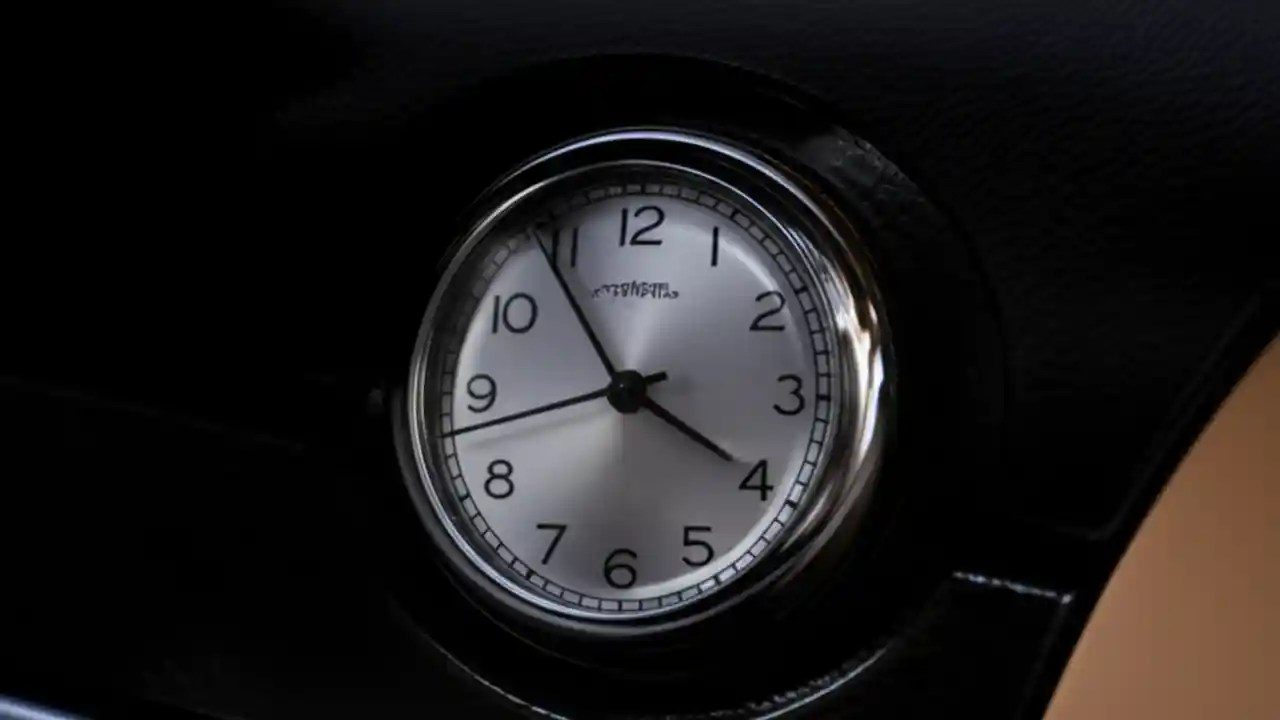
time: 3:54
